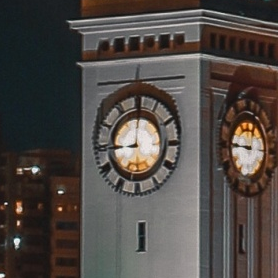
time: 9:00
